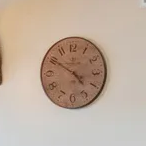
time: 4:50
